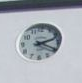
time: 2:19
